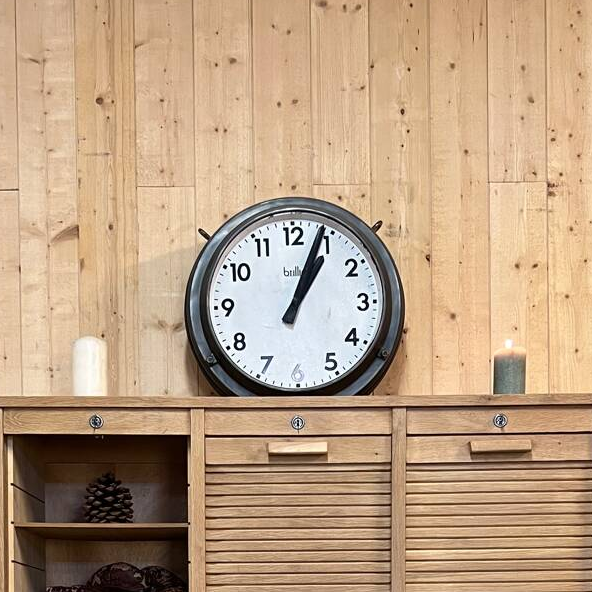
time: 1:03
